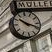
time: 10:18
